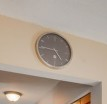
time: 4:45
